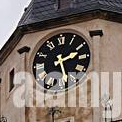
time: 2:26
